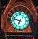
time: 6:47
